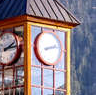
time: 8:12
